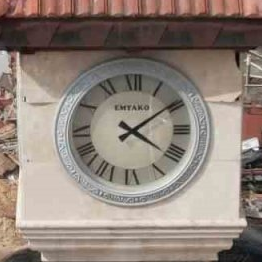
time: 4:09
